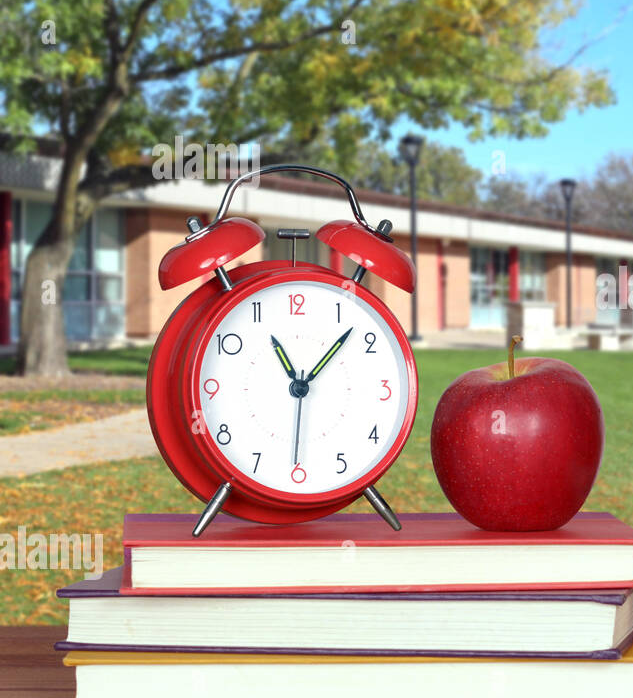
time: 11:07
